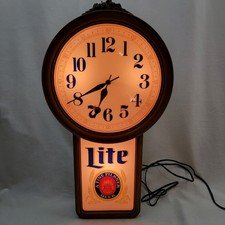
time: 6:40
